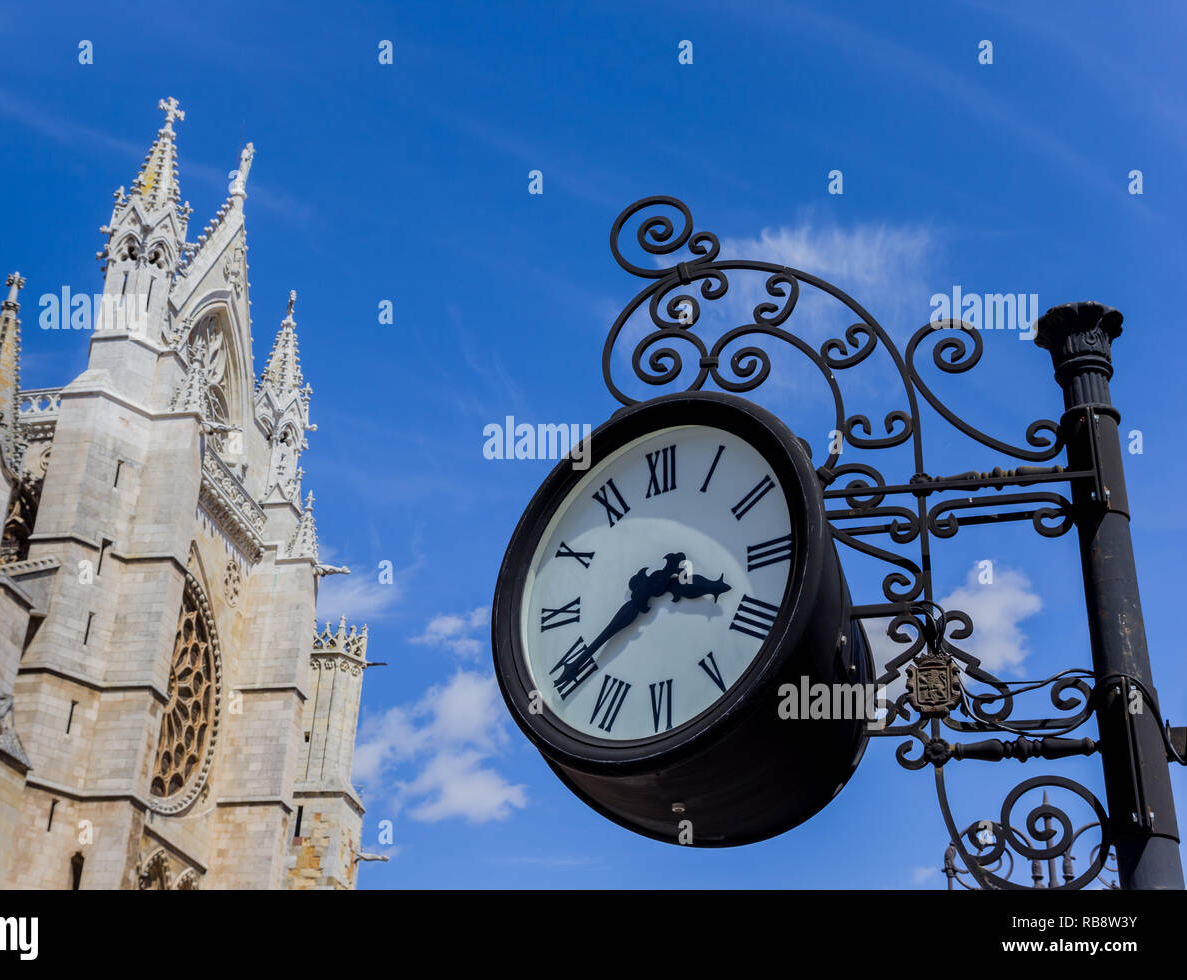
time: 3:39
